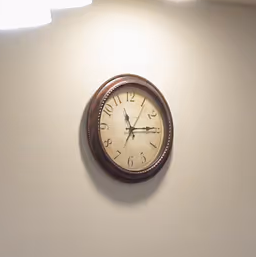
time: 11:14
